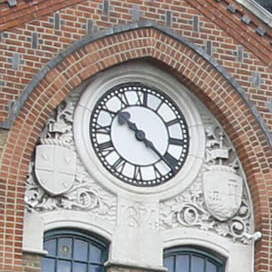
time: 10:21
